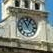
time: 11:04
